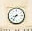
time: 8:36
